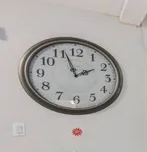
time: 1:56
